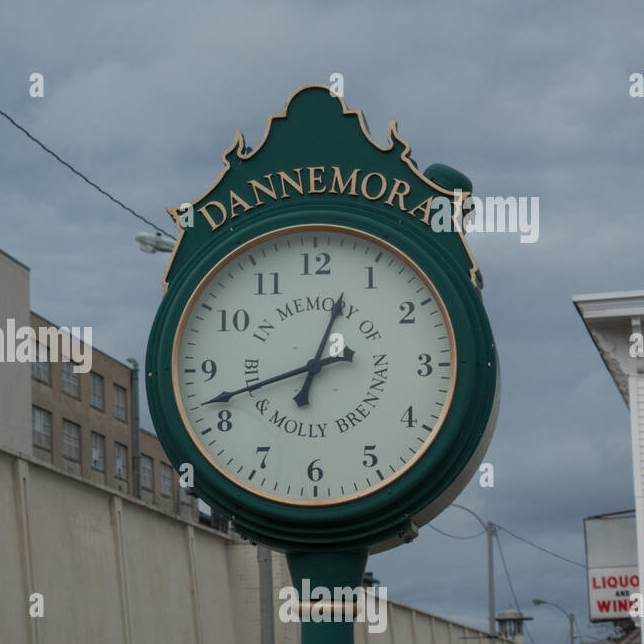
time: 12:41
